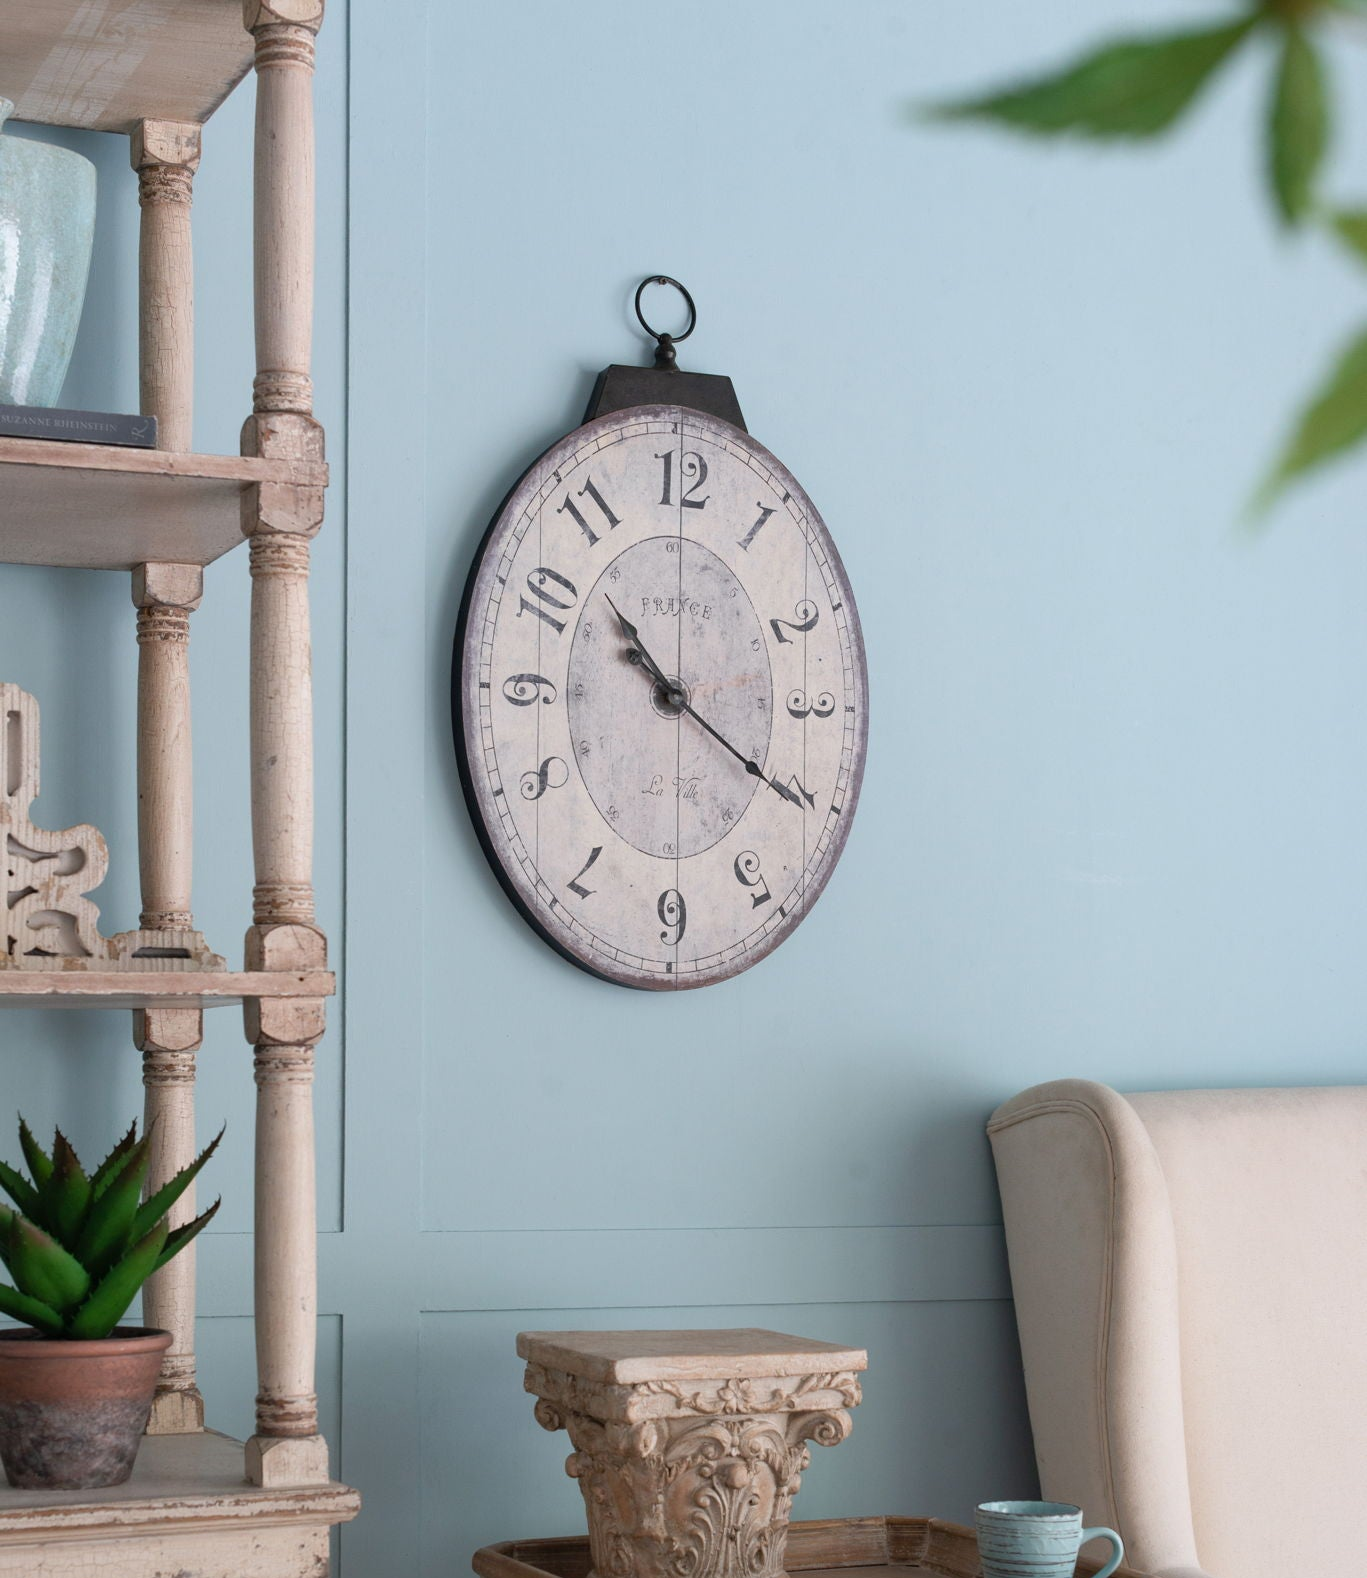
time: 10:20
